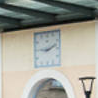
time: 9:11
